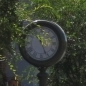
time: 11:26
